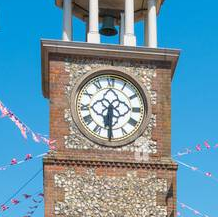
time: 6:30
